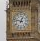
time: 12:47
